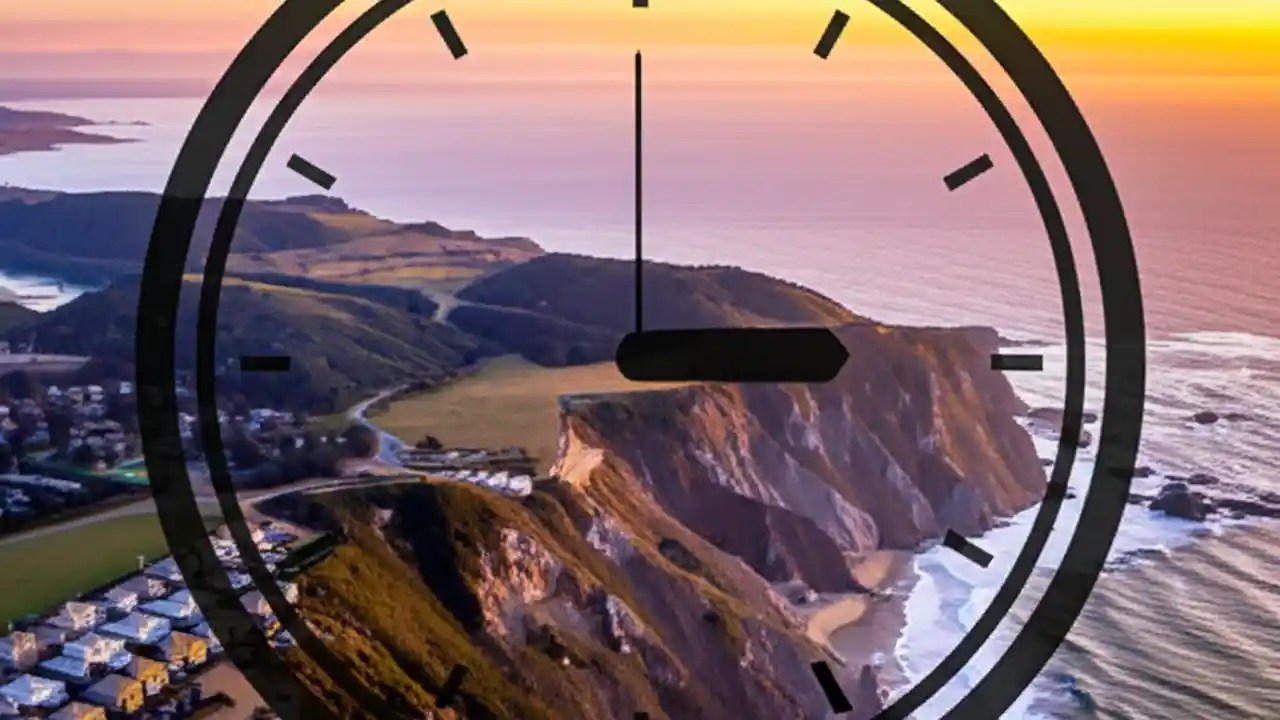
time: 2:59
